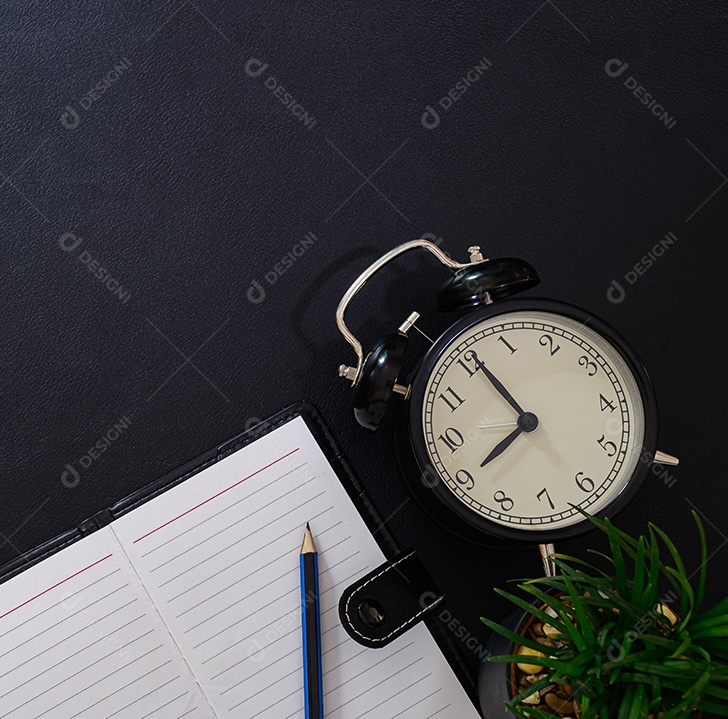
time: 7:56
